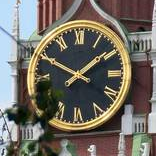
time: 1:49
